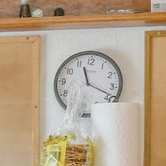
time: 11:18
